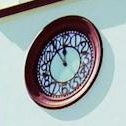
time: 11:54
